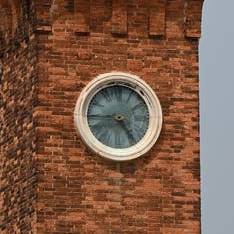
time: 4:44
